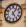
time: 5:06
